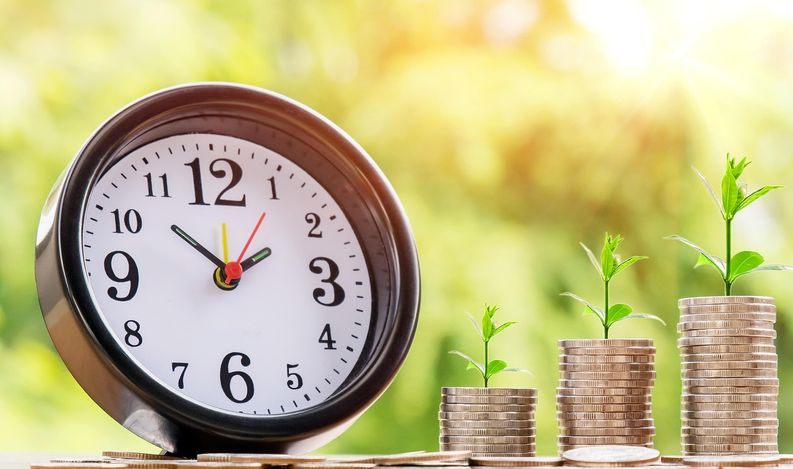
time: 1:51
